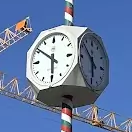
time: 5:51
